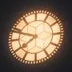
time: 7:48
